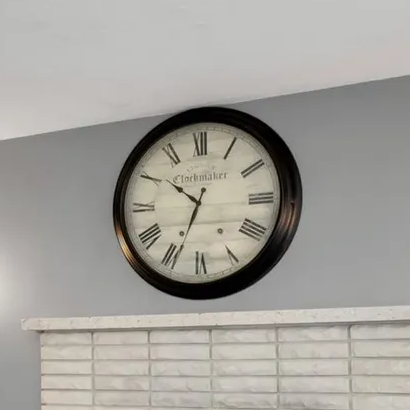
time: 10:33
